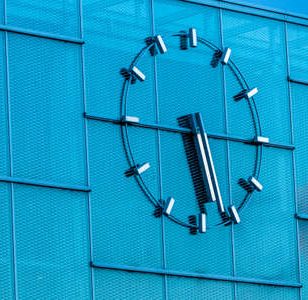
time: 5:15
